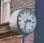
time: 2:33
